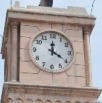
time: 4:00
